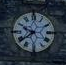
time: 9:38
